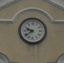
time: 9:39
